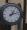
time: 1:12
